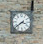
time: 3:38
